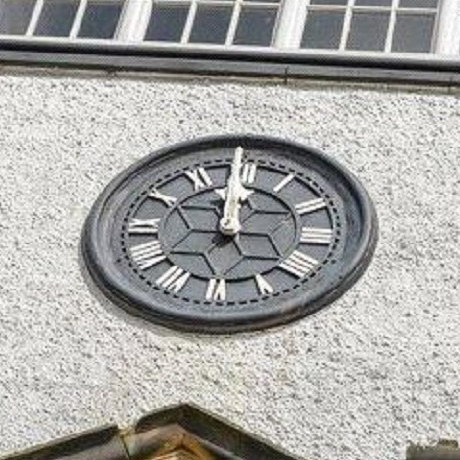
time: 11:59
